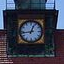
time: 12:43
